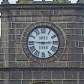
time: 2:45
